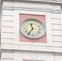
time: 11:35
